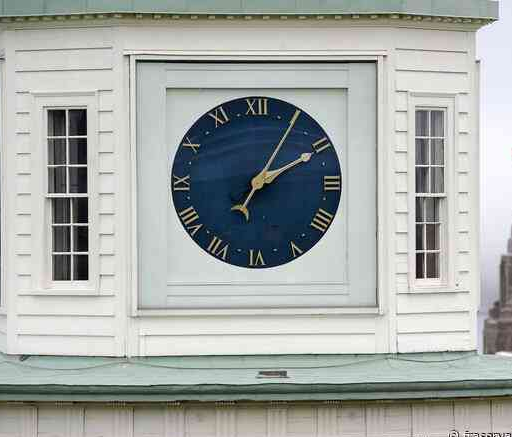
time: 2:05
